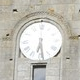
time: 6:28
